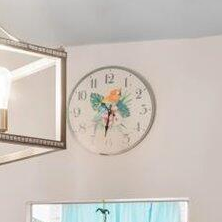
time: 10:32
